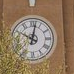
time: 10:02
